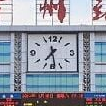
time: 7:28
